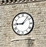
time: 9:07
